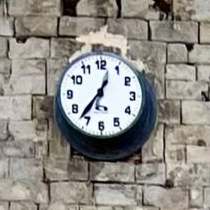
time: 12:36
